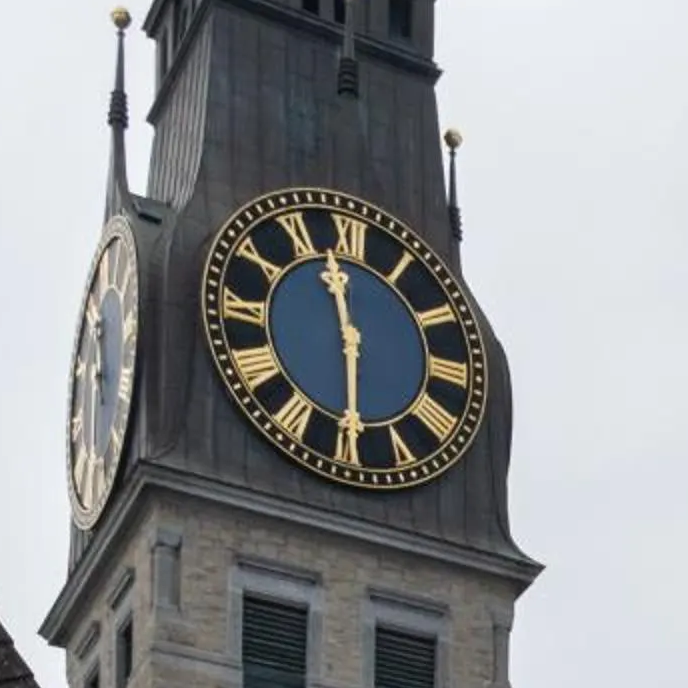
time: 11:29
